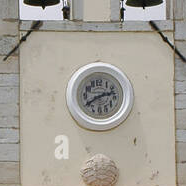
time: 2:39
